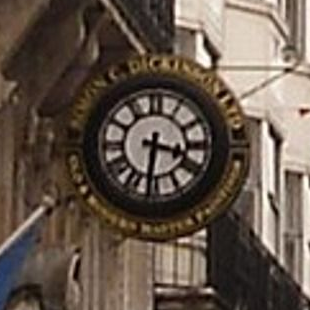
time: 3:31
